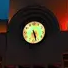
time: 5:27
